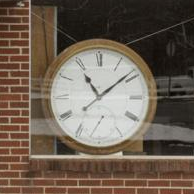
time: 11:08
